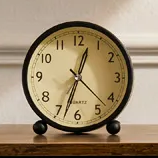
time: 12:32
